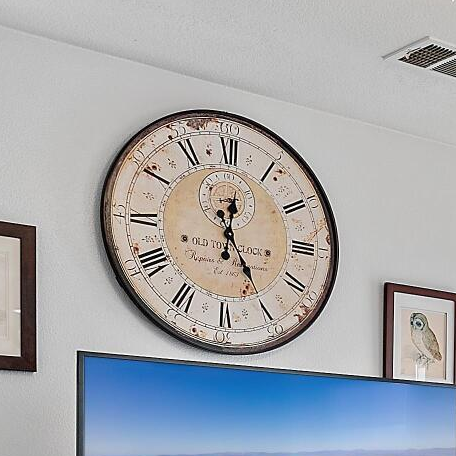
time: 12:24
